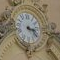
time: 3:22
